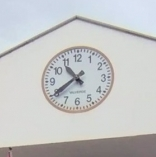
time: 10:39
